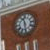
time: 11:29
